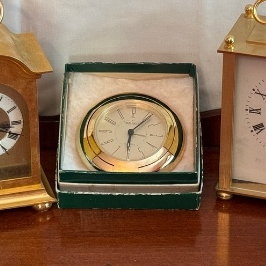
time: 6:07
